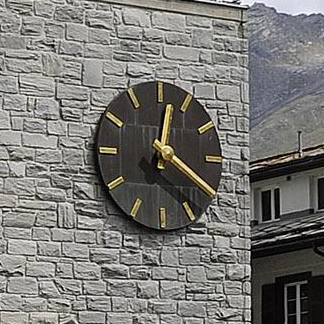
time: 12:20
